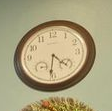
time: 4:31
